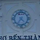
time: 4:35
